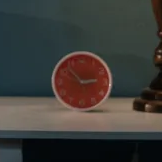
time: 2:52
